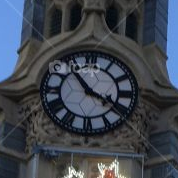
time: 3:53
